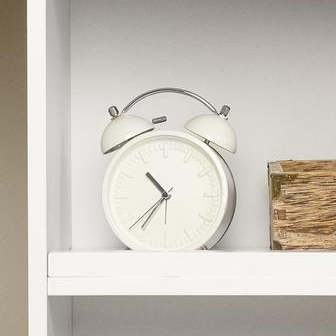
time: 10:36
